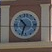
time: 10:33
